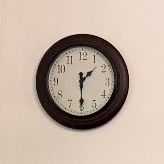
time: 1:29
